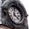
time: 4:01
